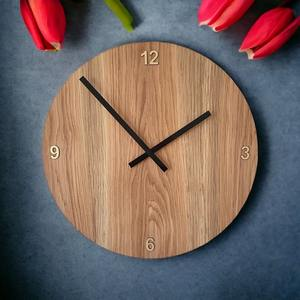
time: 1:52
